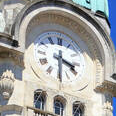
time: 3:29
